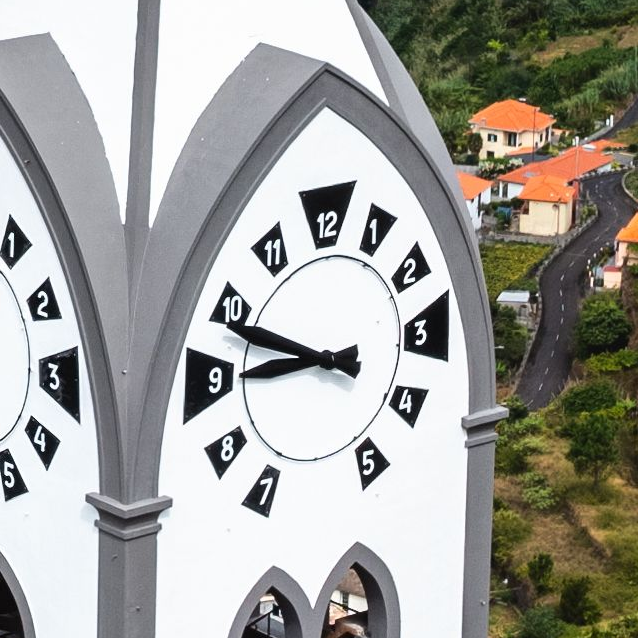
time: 8:48
